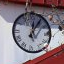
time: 12:05
